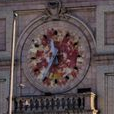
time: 11:35
